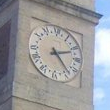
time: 2:23
